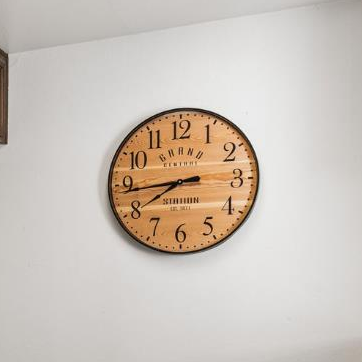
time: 7:43
